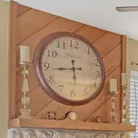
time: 5:43
